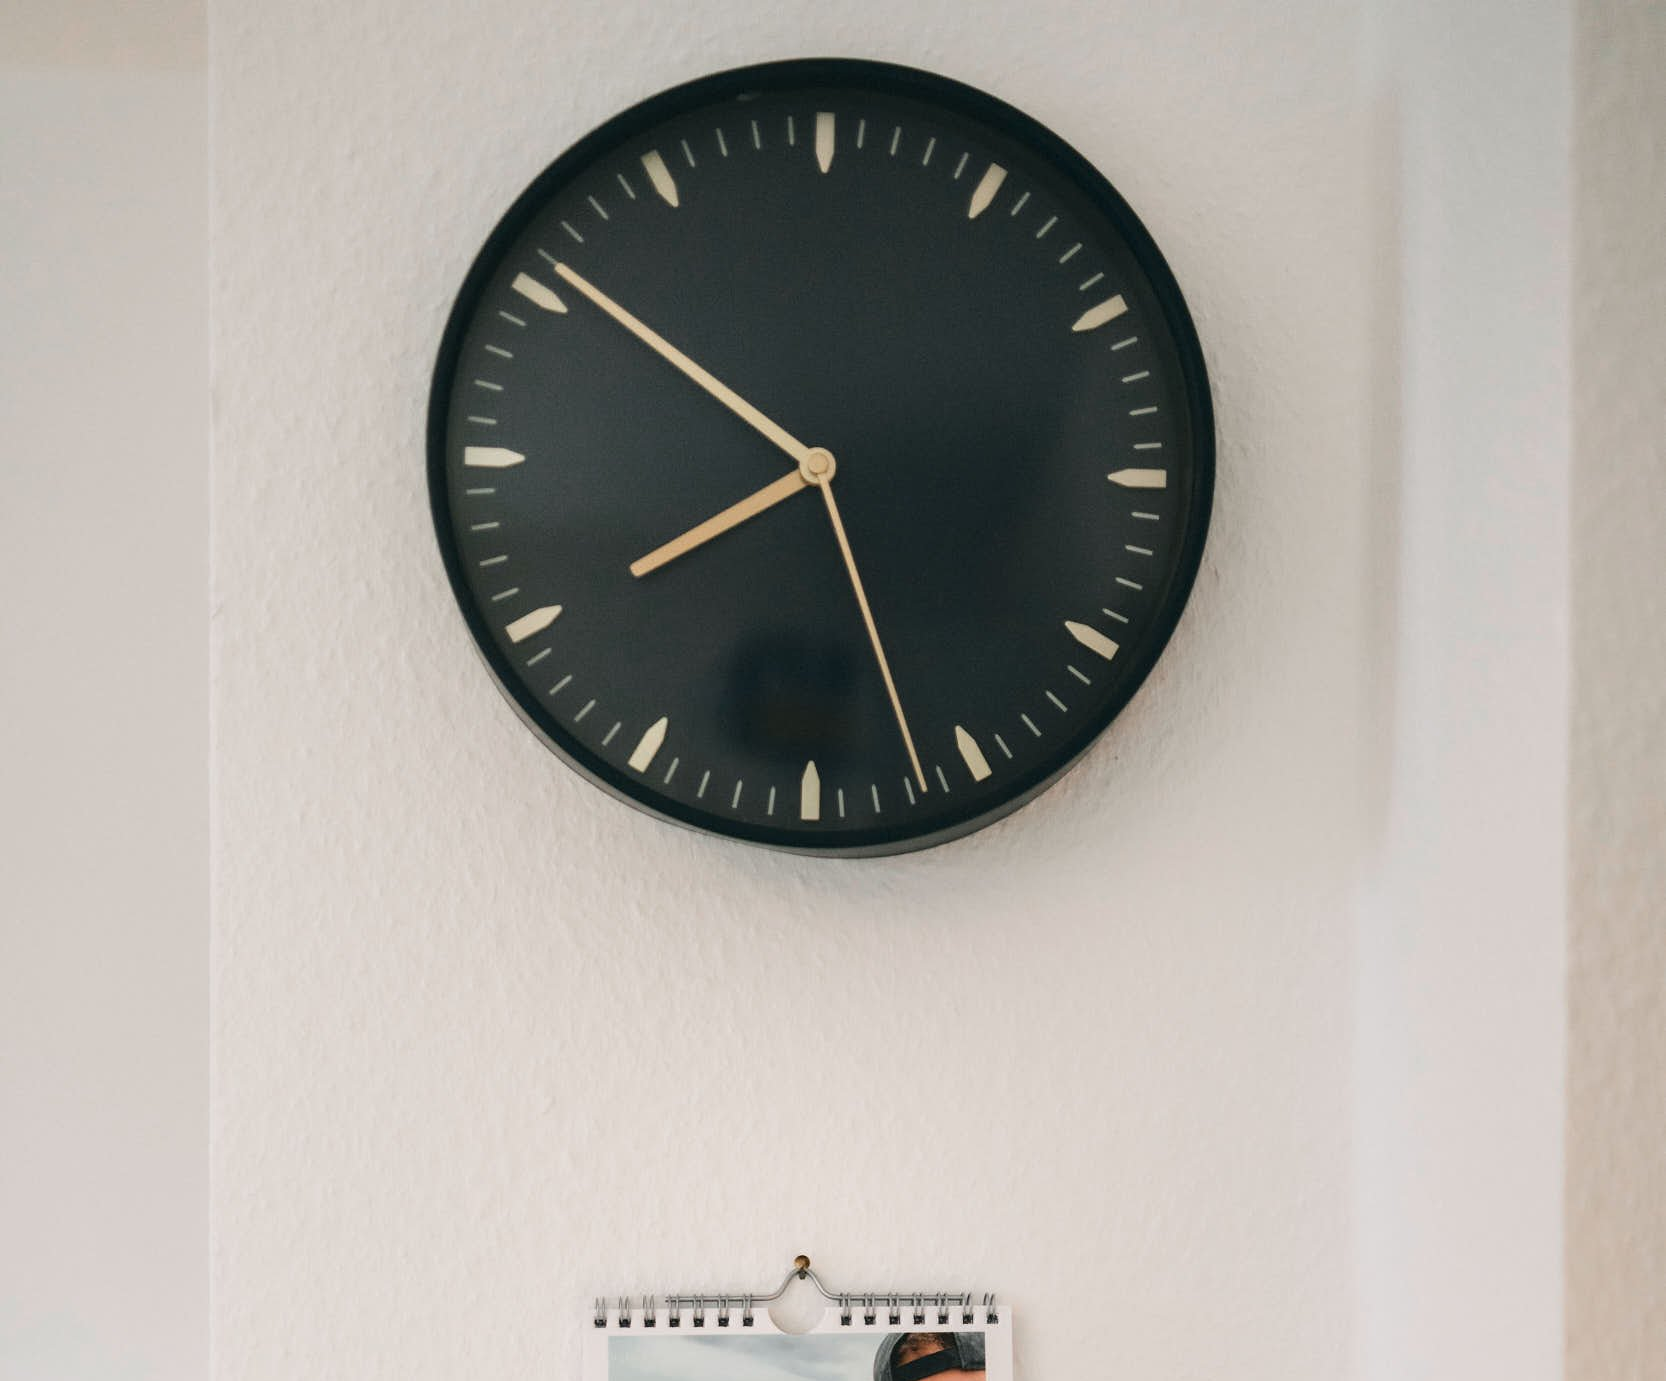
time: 7:50
